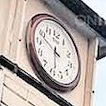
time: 5:48
